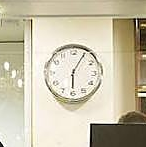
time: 6:05
